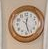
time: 12:27
